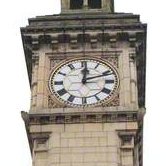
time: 12:11
